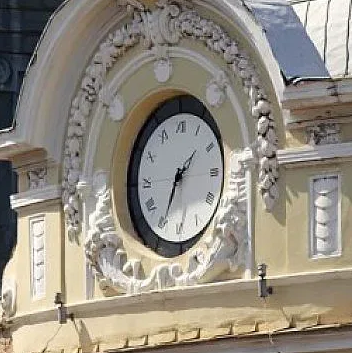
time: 1:34
